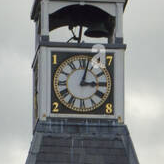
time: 3:02
